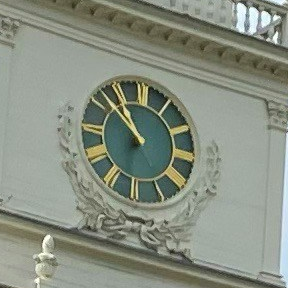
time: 10:51
